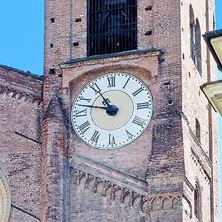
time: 10:47
